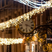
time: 6:18
